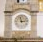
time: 2:58
